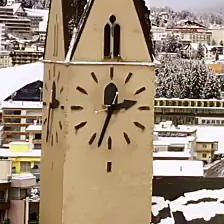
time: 2:33
